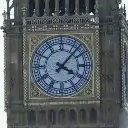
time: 4:07
